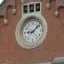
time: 8:07
